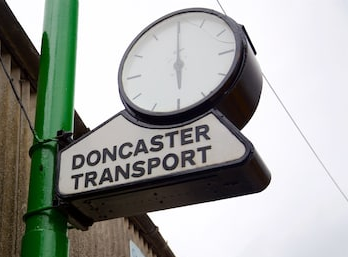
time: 6:00
